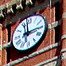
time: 2:58
